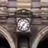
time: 7:07
